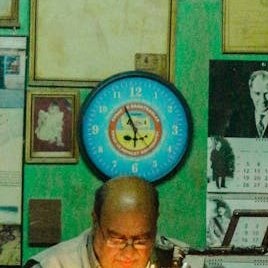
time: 5:55
